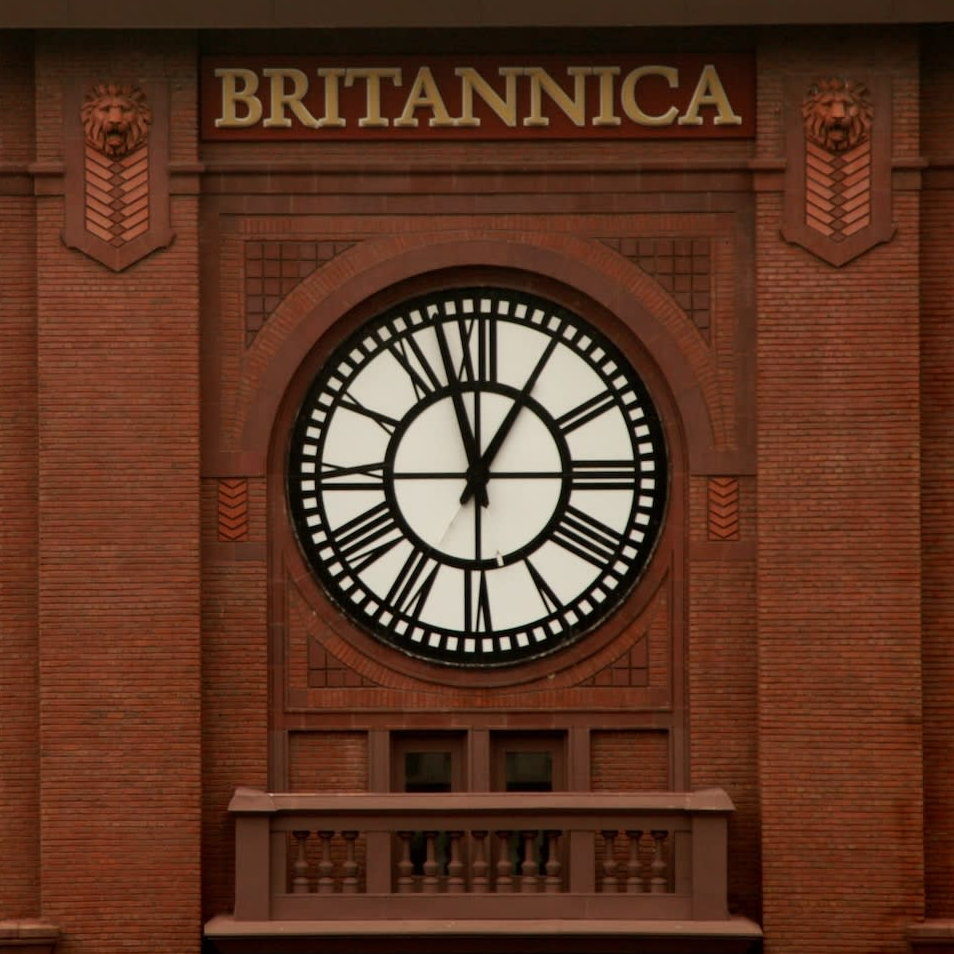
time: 12:57
